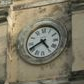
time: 4:40
